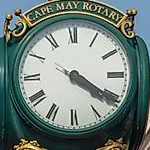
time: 4:20
